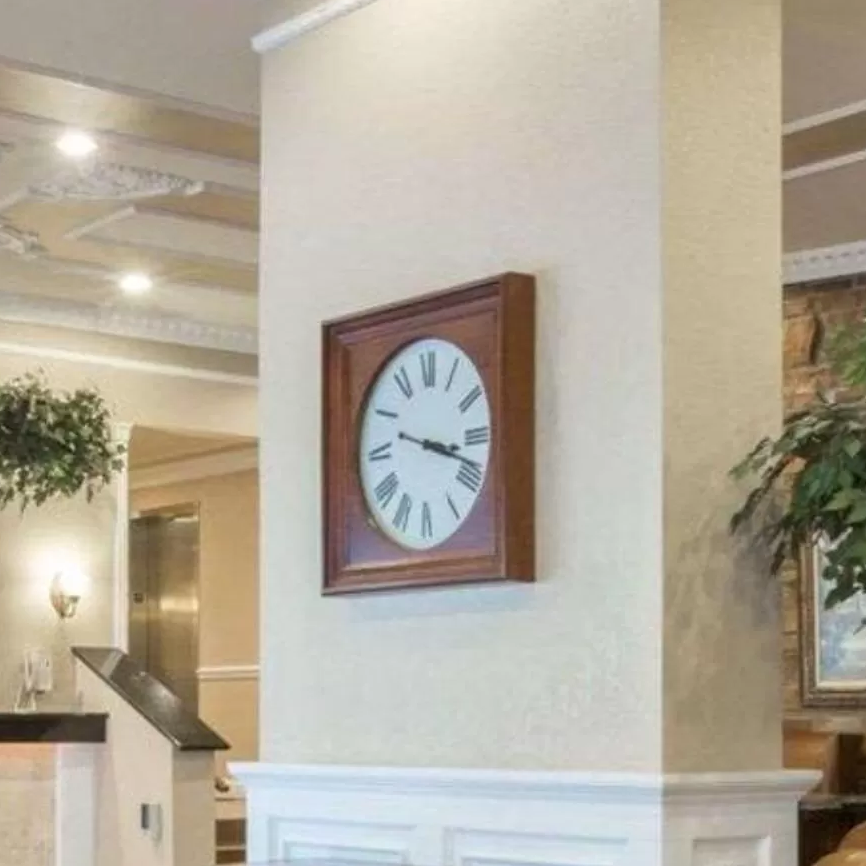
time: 3:18
